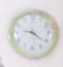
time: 9:21
